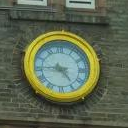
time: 4:44
